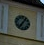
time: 7:06
